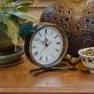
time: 11:51
